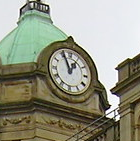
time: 12:56
